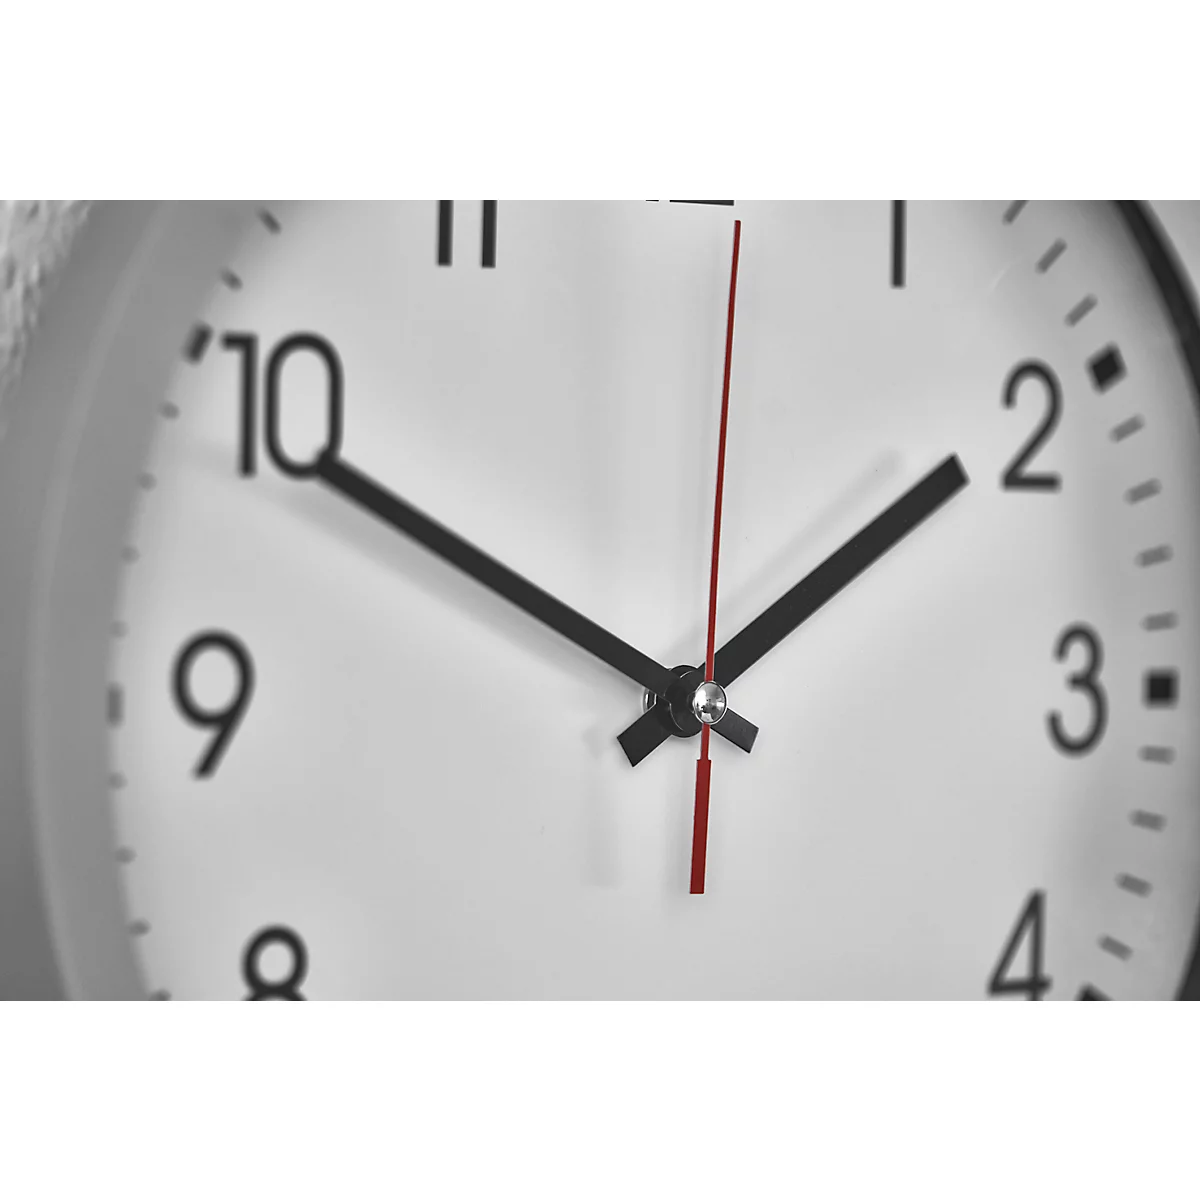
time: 1:49
